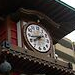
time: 7:43
